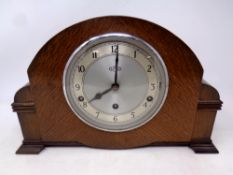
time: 8:00
